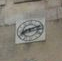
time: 8:12
